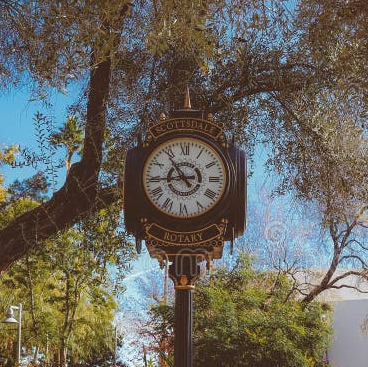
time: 10:43
